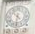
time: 4:31
